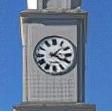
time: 4:07
